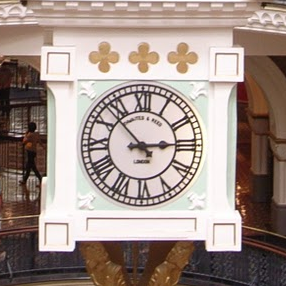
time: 2:53
